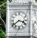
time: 3:39
